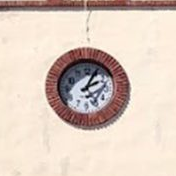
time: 2:04
